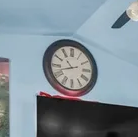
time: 10:41
